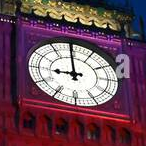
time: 8:59
